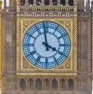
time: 3:58
